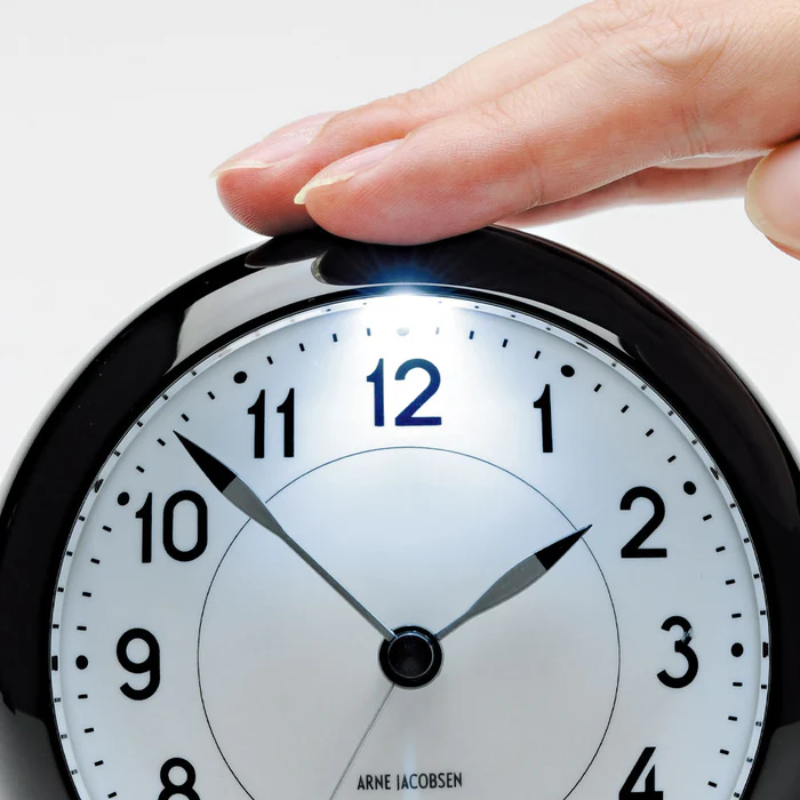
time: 1:52
